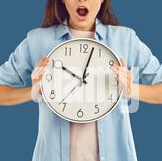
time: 10:02
